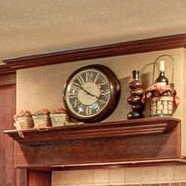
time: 3:51
